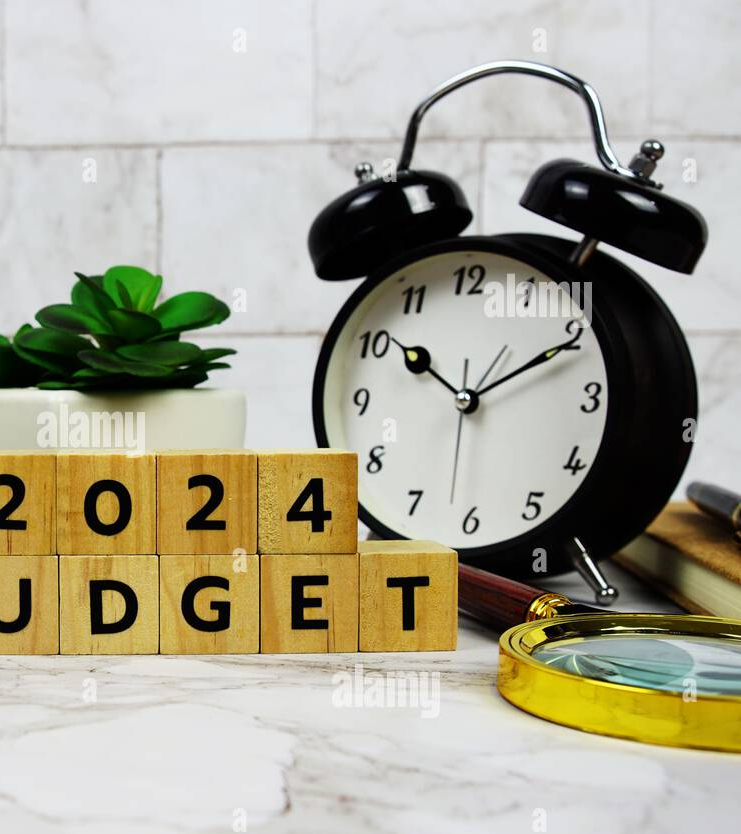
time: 10:10
